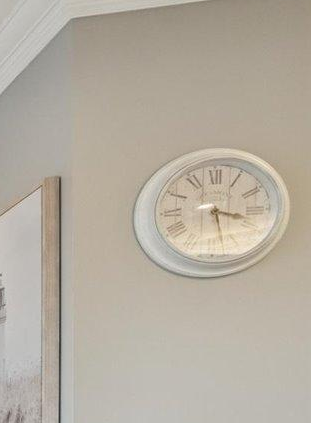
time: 3:27
